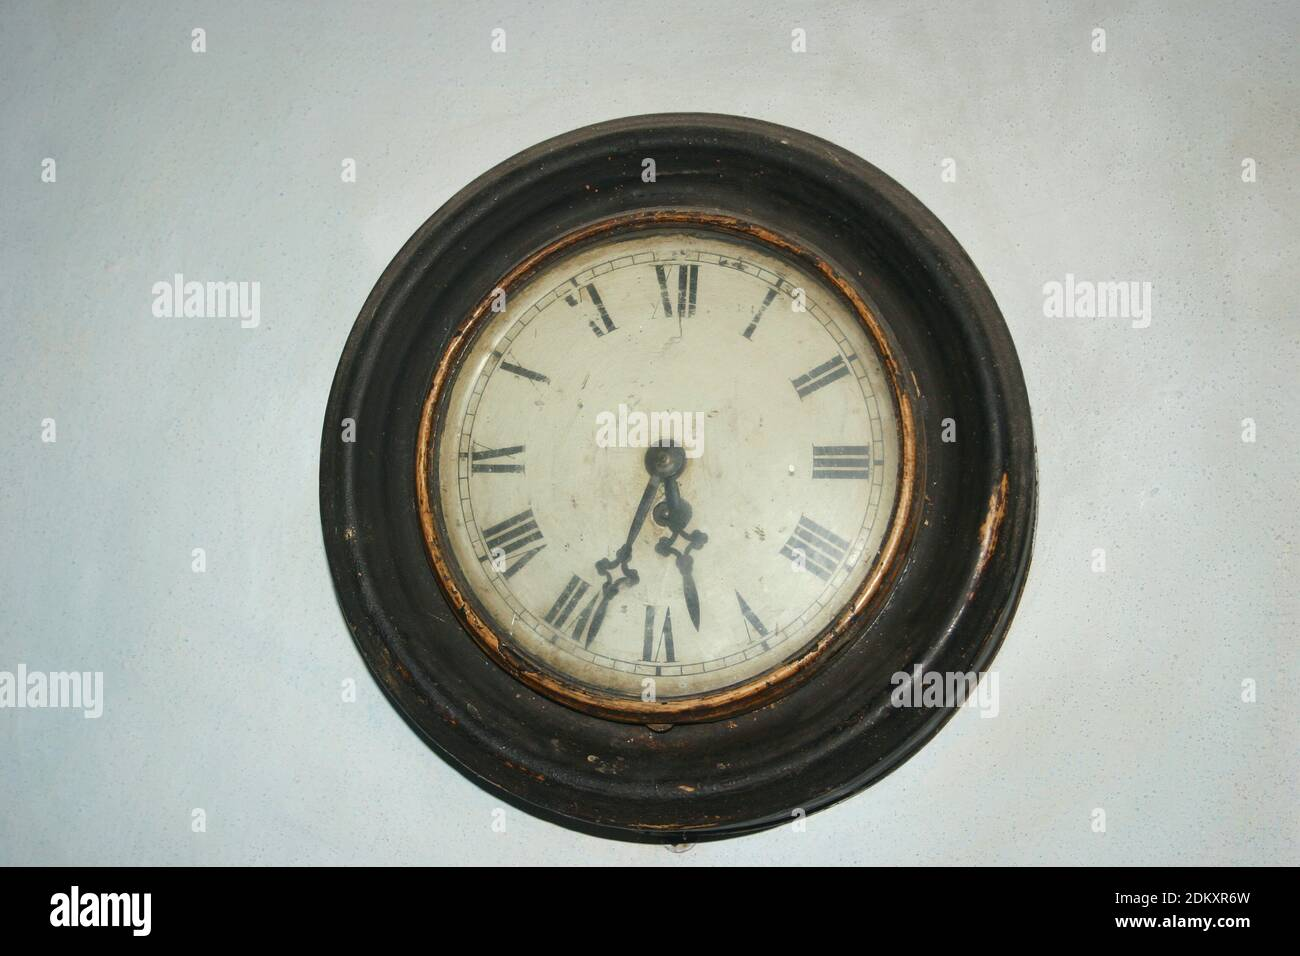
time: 5:33
